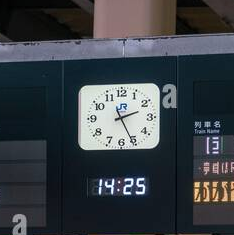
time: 2:25
